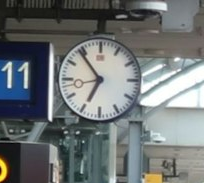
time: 6:53
